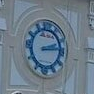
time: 2:13
